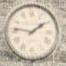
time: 1:46
